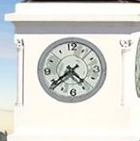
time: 4:38
